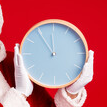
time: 11:54
